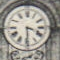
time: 3:29
